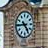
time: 4:44
